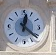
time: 12:21
